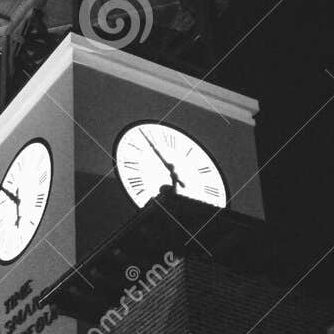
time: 5:53
